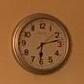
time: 6:13
